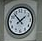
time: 1:53
